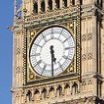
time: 5:29
